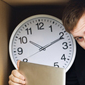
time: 10:11
